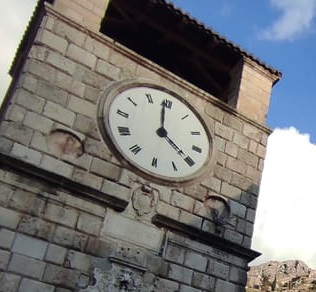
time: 3:58
